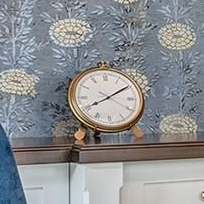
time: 8:09
